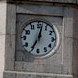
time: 7:01
